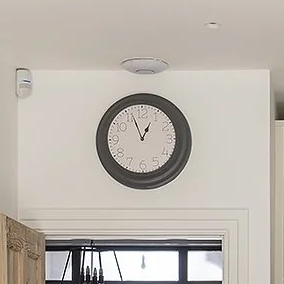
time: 12:56
